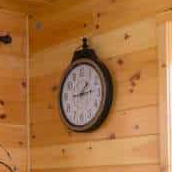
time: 1:13
